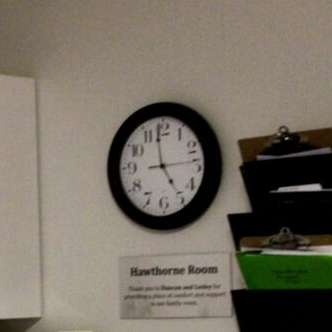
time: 4:58
